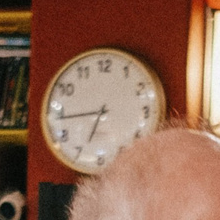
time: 6:43
